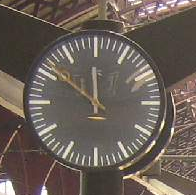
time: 11:51
